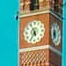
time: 5:35
